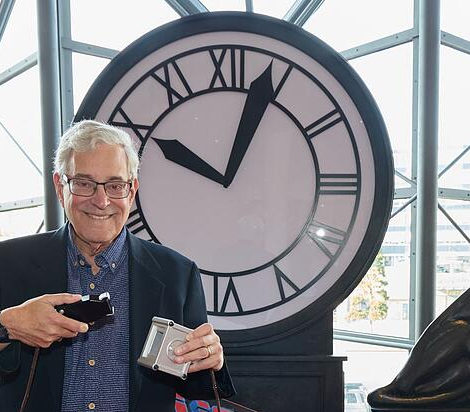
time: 10:03
